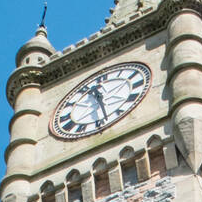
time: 11:28
